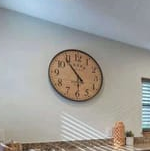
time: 5:53
